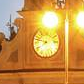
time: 7:47
